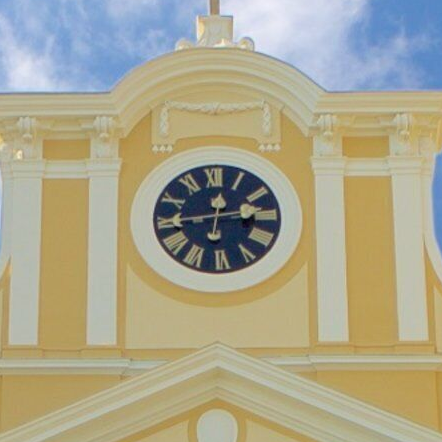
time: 12:14
